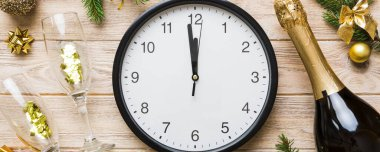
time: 11:58
